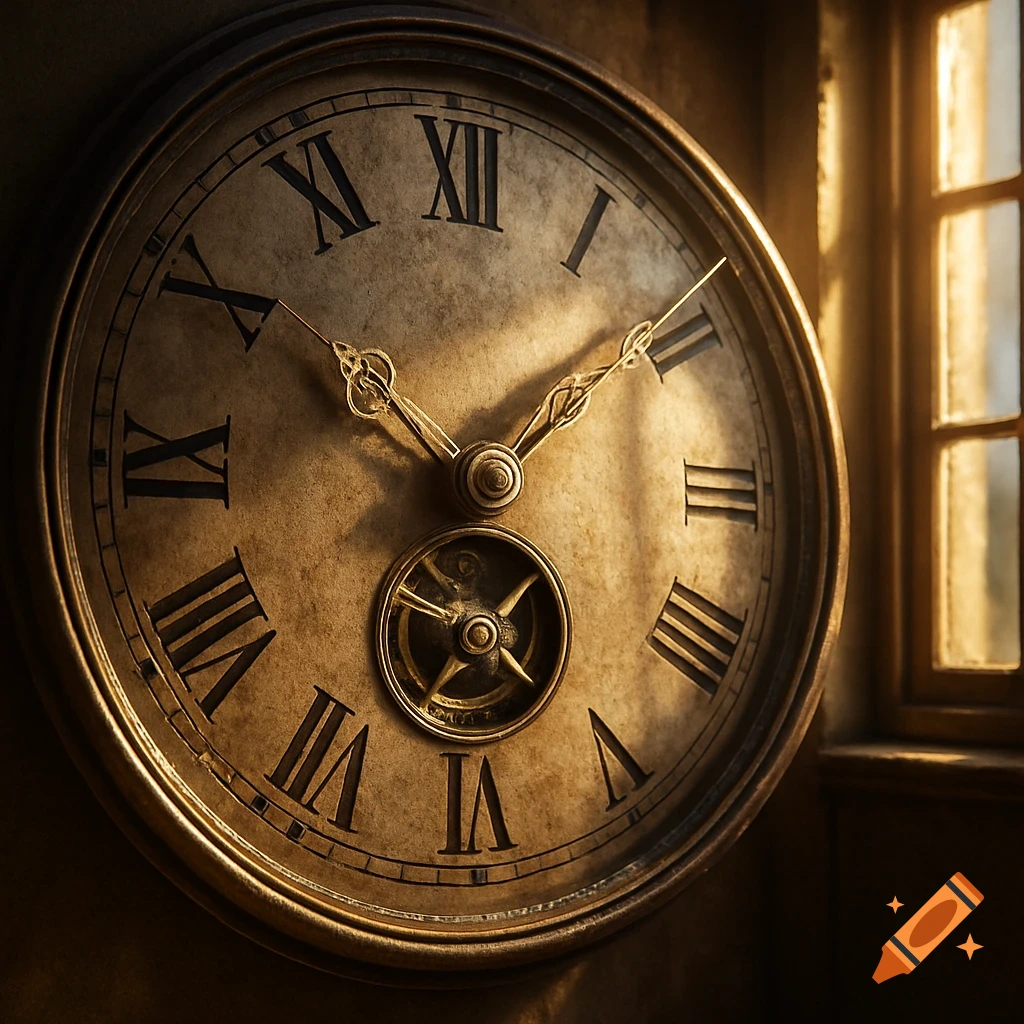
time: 1:50
